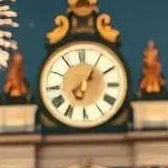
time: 7:05
